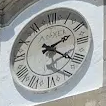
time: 2:21
